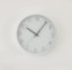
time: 10:05
